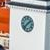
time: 1:37
